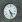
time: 4:26
